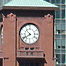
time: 10:39
